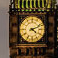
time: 4:11
